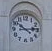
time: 10:13
